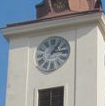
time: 1:13
